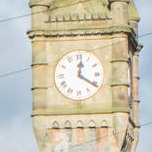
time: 12:20
